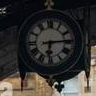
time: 6:14
